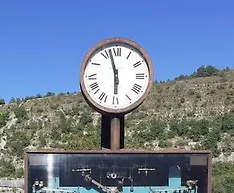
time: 5:57
